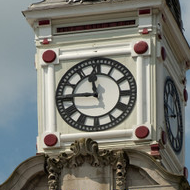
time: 11:44
